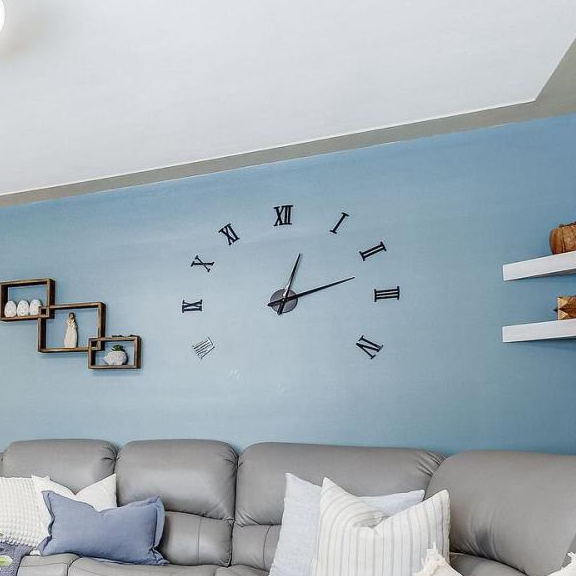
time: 12:12
